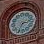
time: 2:34
